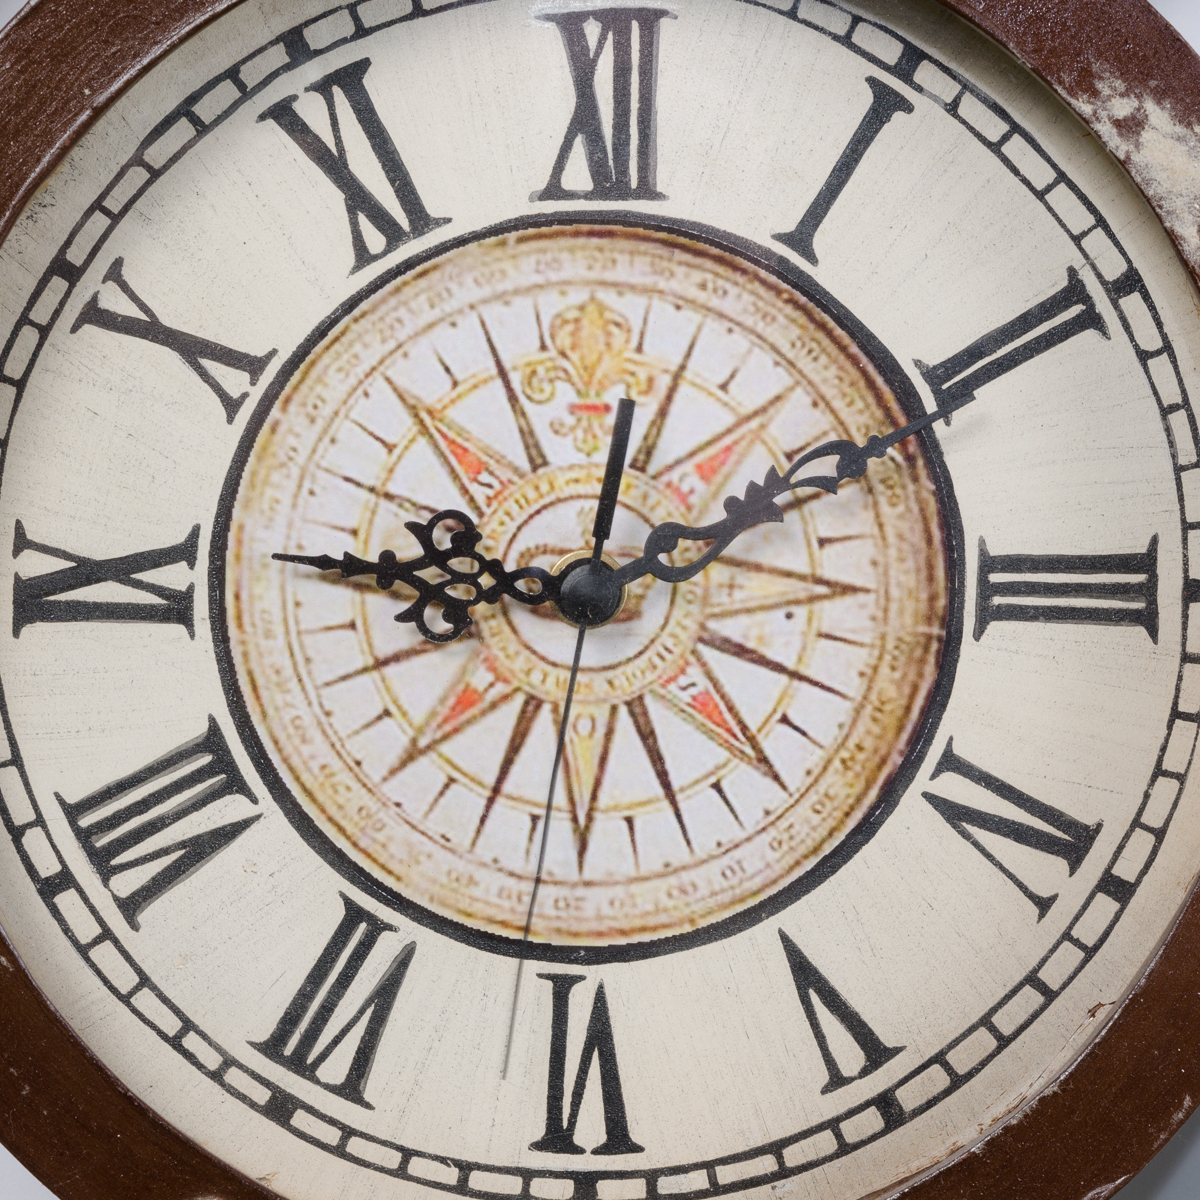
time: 9:10
